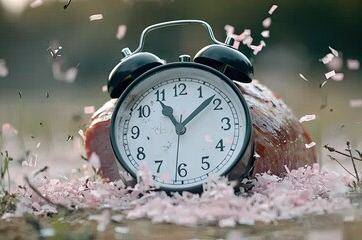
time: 11:08
